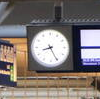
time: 8:25
